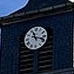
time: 11:17
